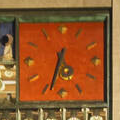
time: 4:33
